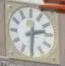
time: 2:30
